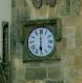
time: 5:59
